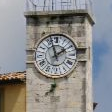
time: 1:57
